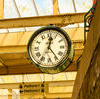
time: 12:23
